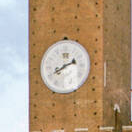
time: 8:11
